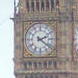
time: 2:21
